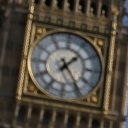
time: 1:24
